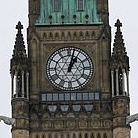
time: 1:02
